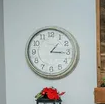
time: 1:15
